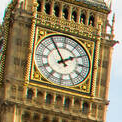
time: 1:54
